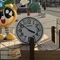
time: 3:51
